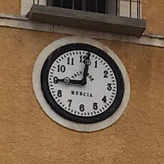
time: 9:01
